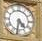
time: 4:31
